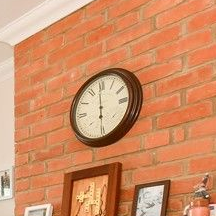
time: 5:59
